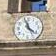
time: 3:57
